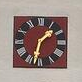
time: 1:32
